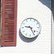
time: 9:25
